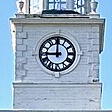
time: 8:59
